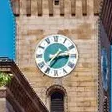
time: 2:36
